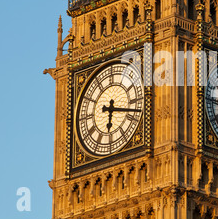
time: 6:17
